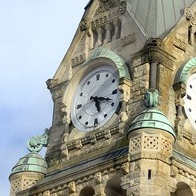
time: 5:18
